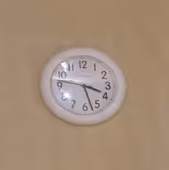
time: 3:47
